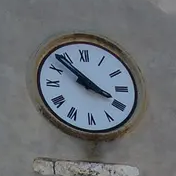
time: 3:52
